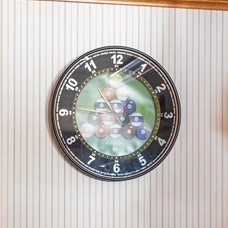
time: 10:45
